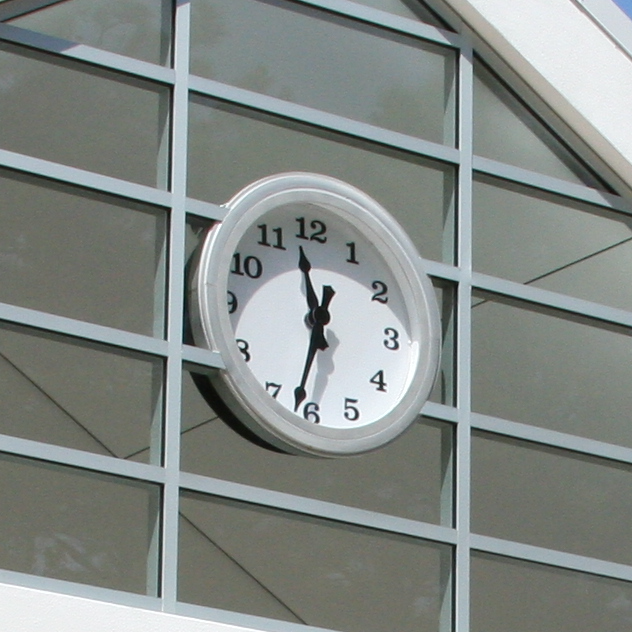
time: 11:32
